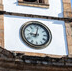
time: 9:02
